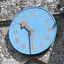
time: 10:29
